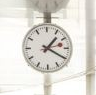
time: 1:20
